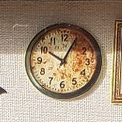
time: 10:04
